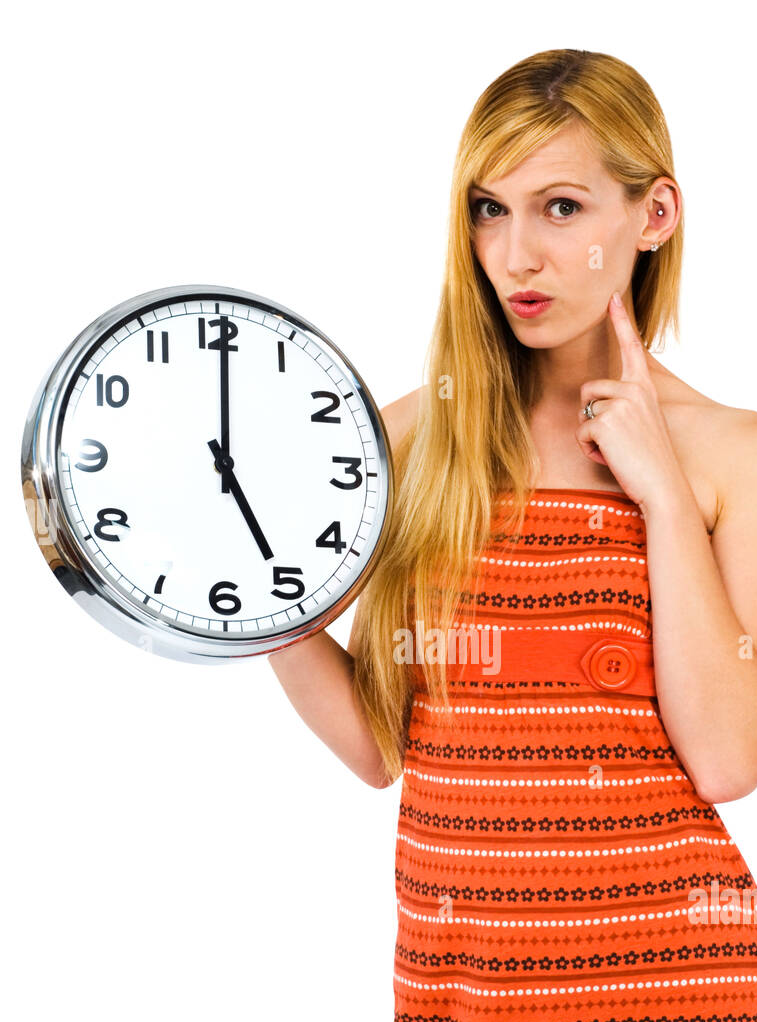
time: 5:00
